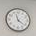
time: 11:21
